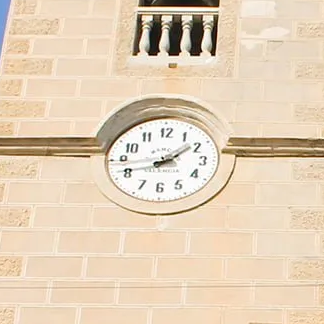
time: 1:42
